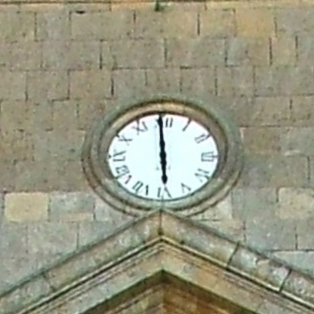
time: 5:59
